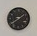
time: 1:39
